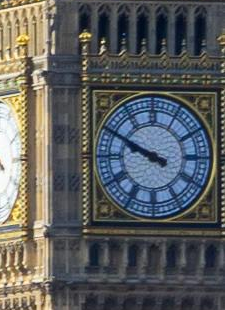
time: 9:49
